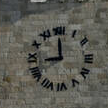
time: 11:43
